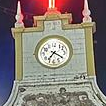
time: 7:20
